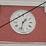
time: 1:32
